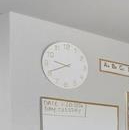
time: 9:41
